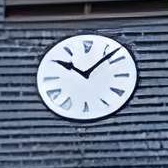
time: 10:07
